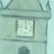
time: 3:58
